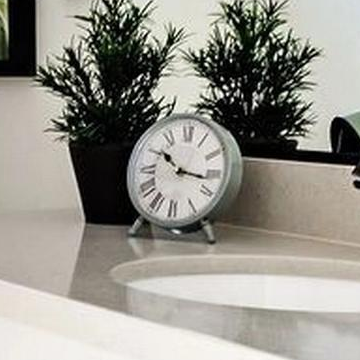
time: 10:16
